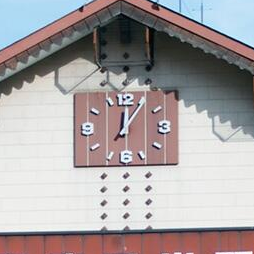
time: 12:05
